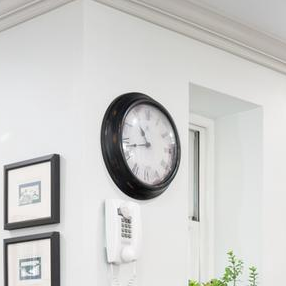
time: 10:42
